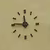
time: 11:45
